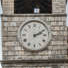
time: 2:09
